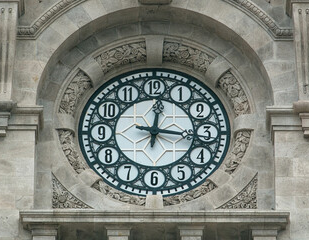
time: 12:16
